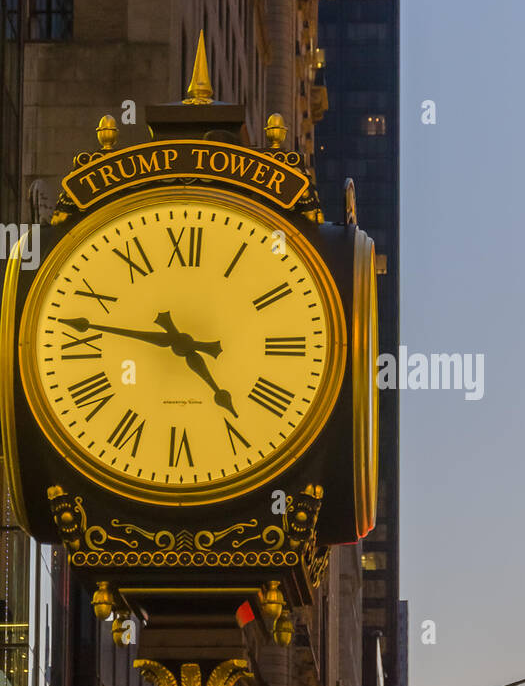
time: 4:46
